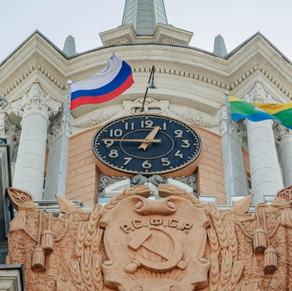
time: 12:46
